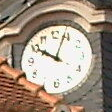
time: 10:03
